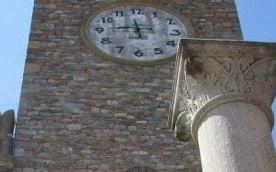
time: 11:45
